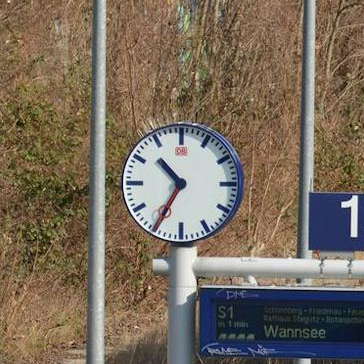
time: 10:34
